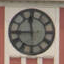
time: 11:44
